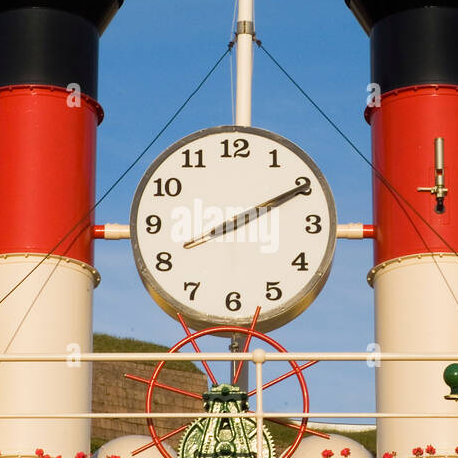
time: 8:10
